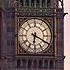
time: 6:19
